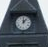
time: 12:07
